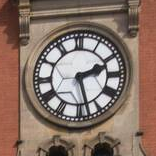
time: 2:27
